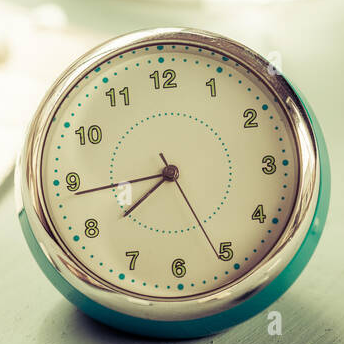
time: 7:43
